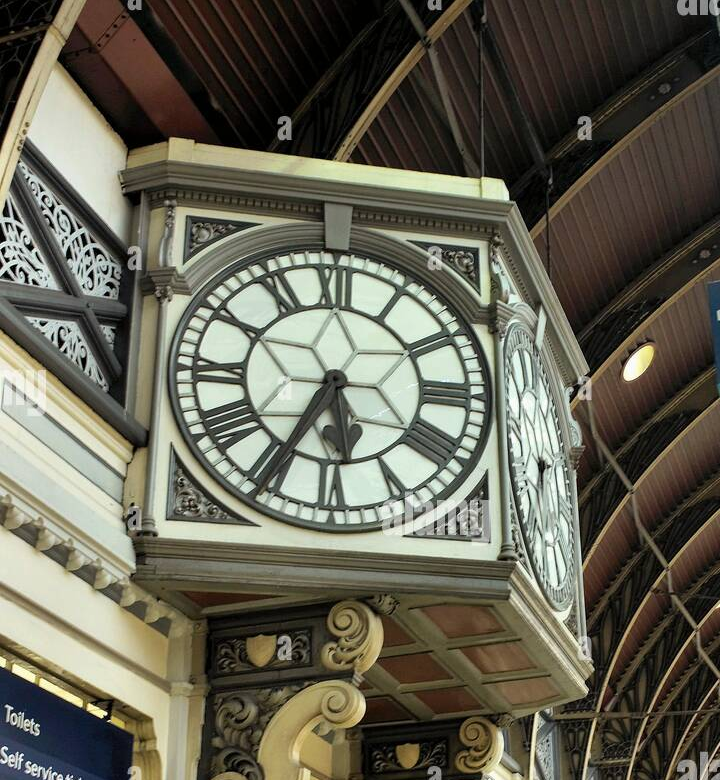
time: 5:34
